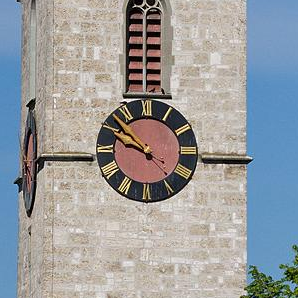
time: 9:51
